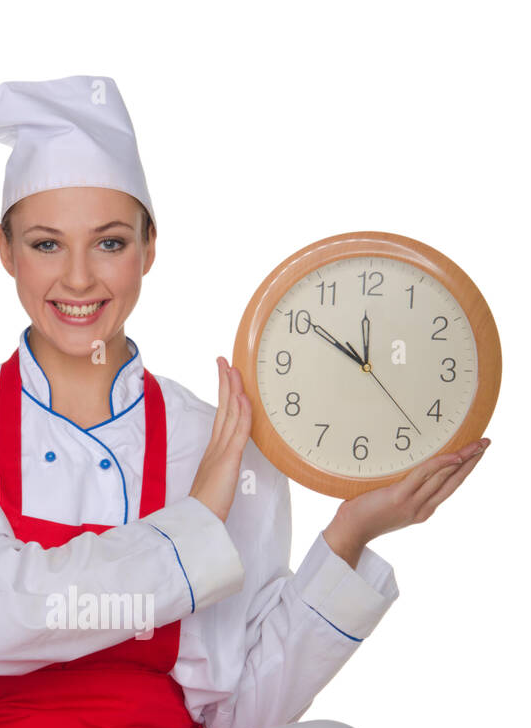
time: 11:50
